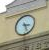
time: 3:26
